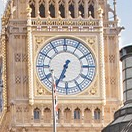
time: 6:34
